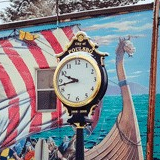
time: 9:42
